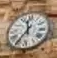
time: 11:35
